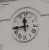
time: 11:43
